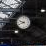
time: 9:41
